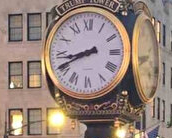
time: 8:40
